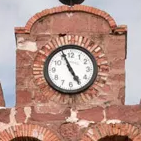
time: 4:56
